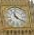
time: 11:21
